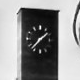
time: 1:36
